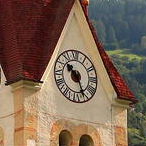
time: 10:26
